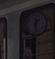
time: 1:28
